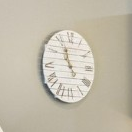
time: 10:56
